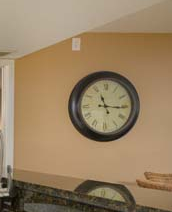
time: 11:15
